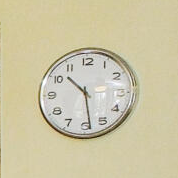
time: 10:28
